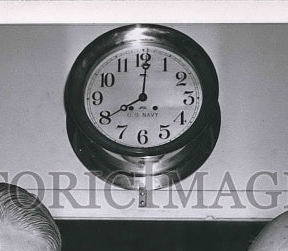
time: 8:01
